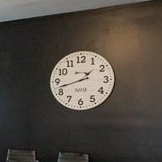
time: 1:42
